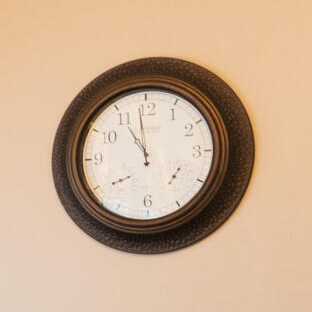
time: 10:58
